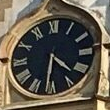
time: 4:31
